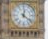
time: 12:21
